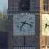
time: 7:17
